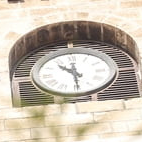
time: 10:29
